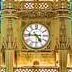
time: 4:45
